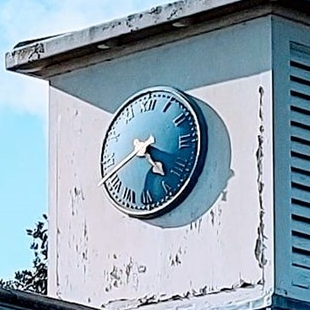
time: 4:41
